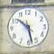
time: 10:28
